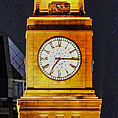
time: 7:15
